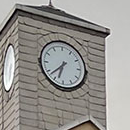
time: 6:38
